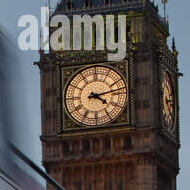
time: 4:12
